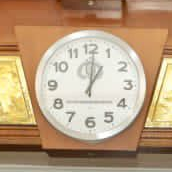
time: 1:00
